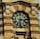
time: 6:15
